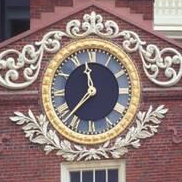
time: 11:37
